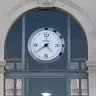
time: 4:39
